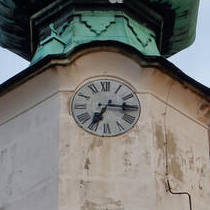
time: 7:15
